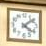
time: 4:08
